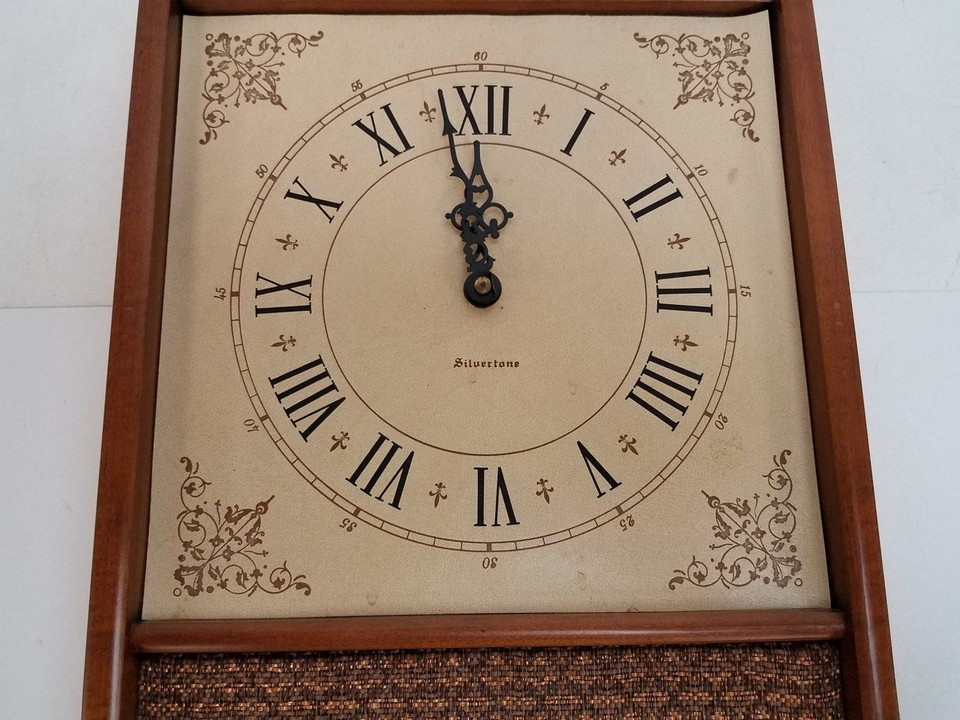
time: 11:58
